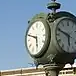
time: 5:49
